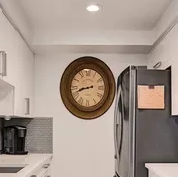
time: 8:42
